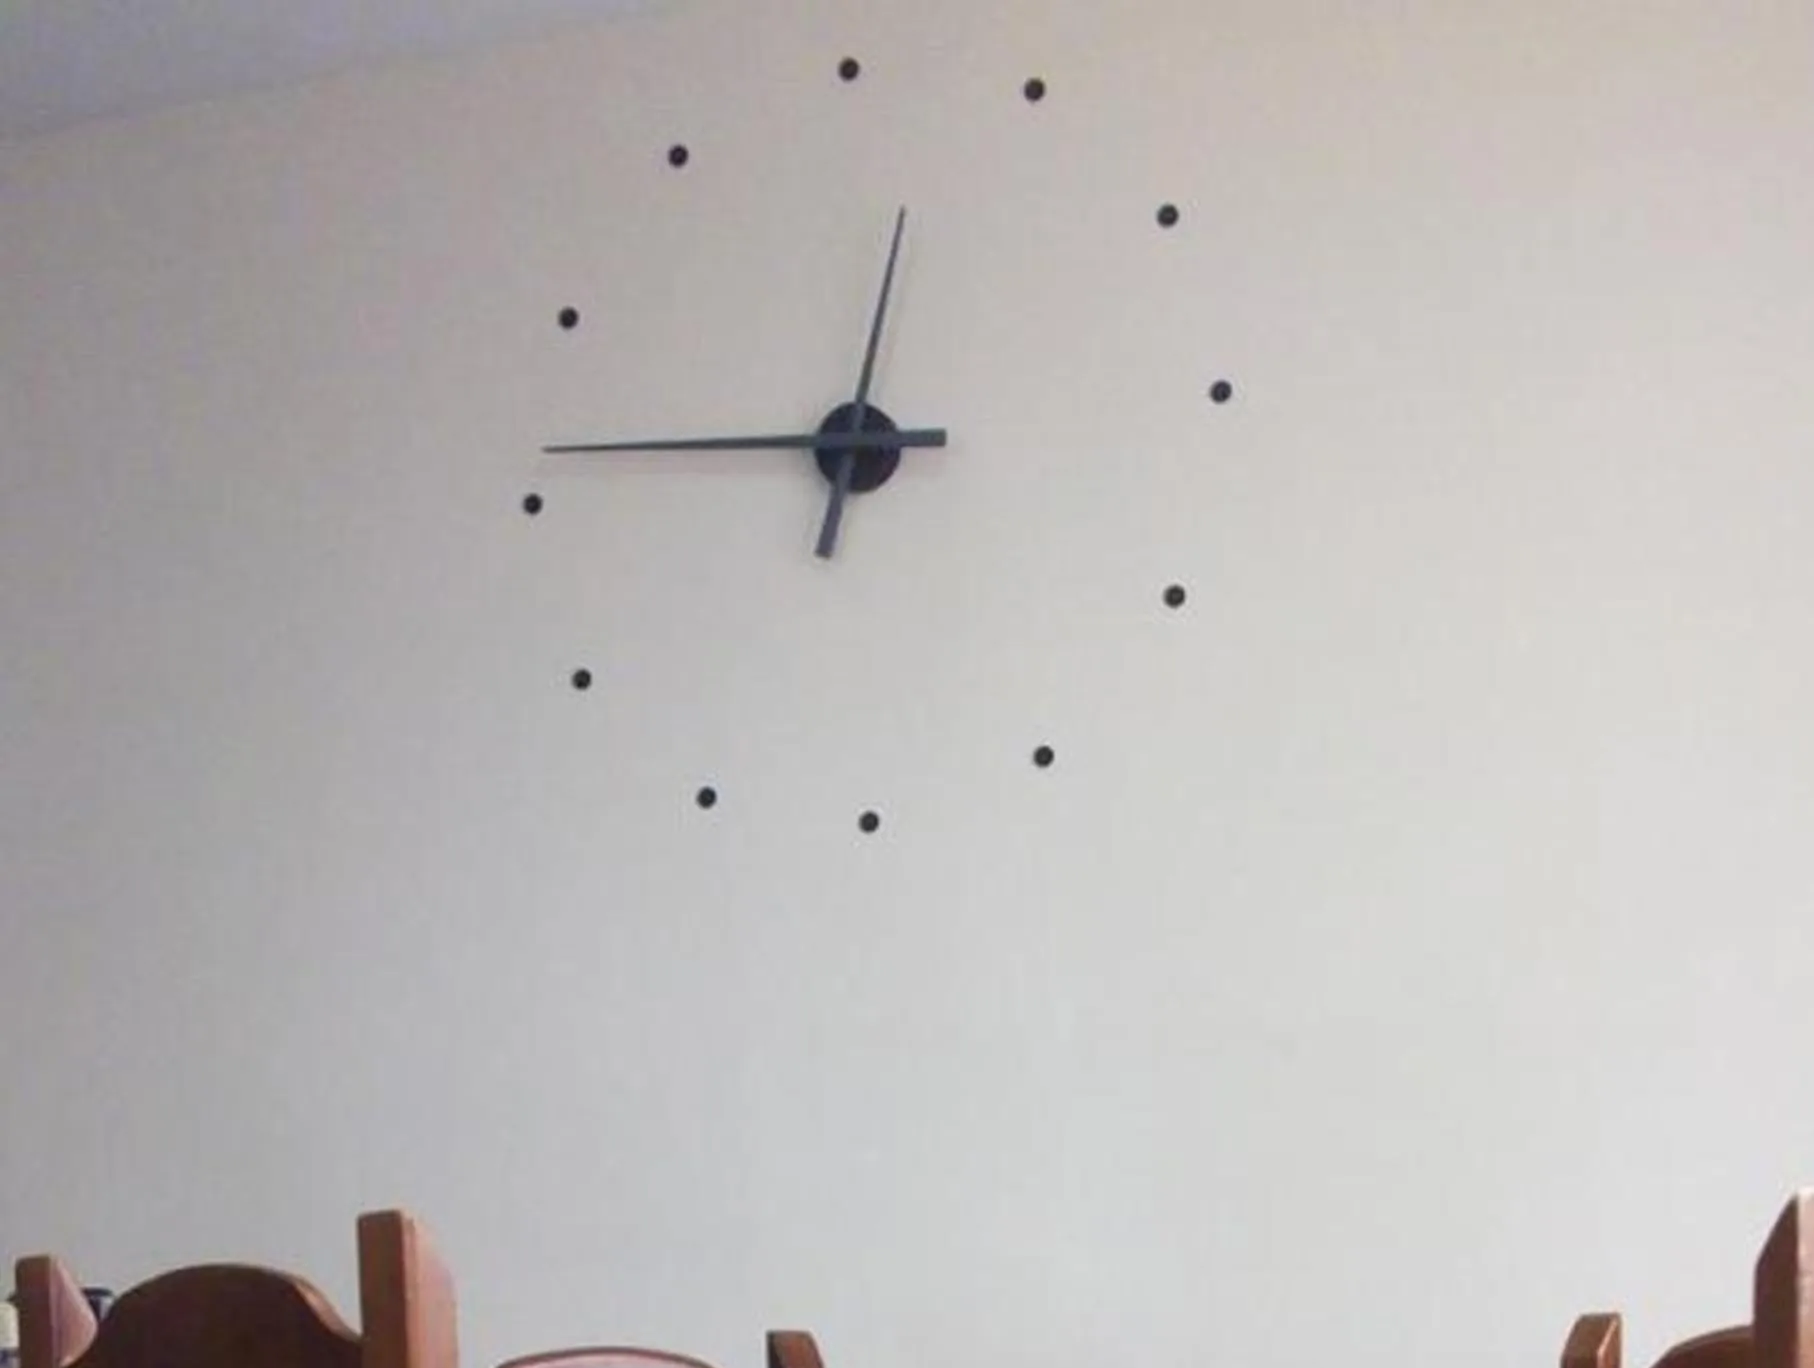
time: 12:46
